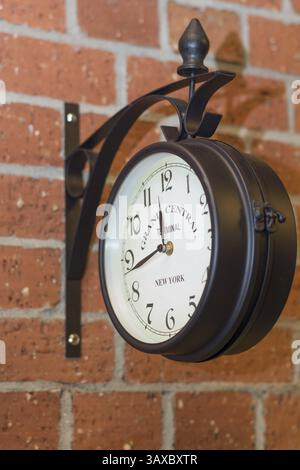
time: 11:42
